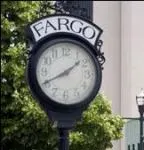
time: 1:40
